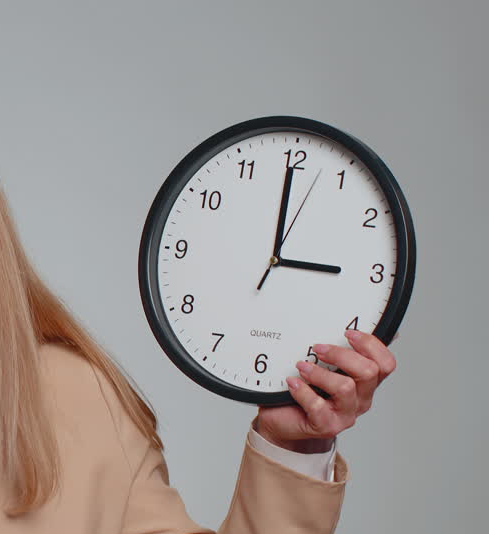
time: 2:59
